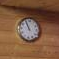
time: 10:55
